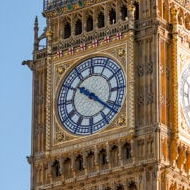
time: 10:21
